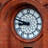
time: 8:47
